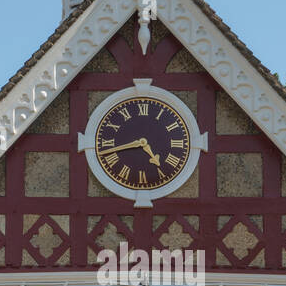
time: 4:42
